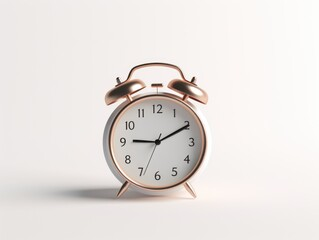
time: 9:10
